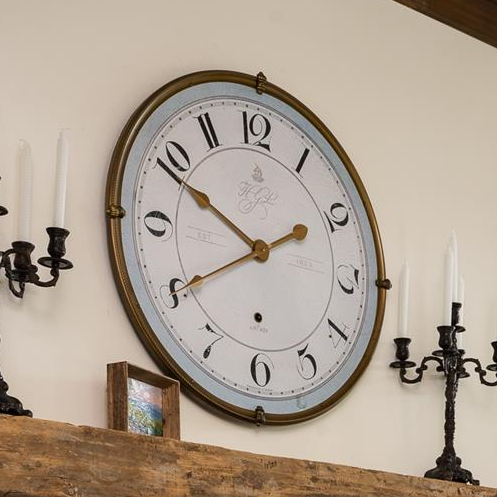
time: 1:49
